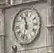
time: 11:32
